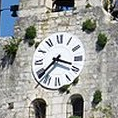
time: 3:37
